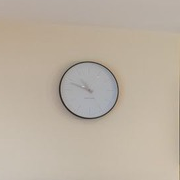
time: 10:48
